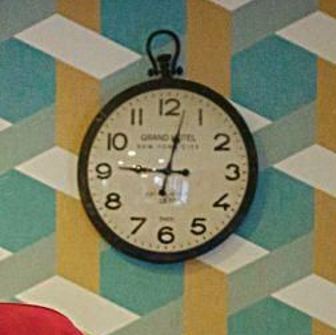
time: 9:02
